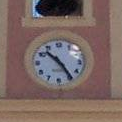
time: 10:24
